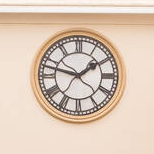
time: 1:47
